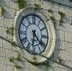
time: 6:21
